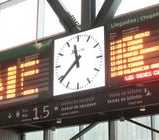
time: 11:38
